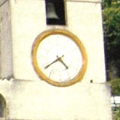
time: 4:39
